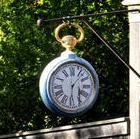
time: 1:28
